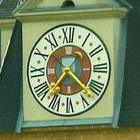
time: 7:22
